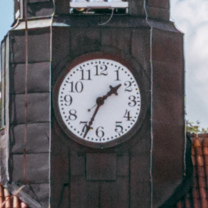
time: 1:34
